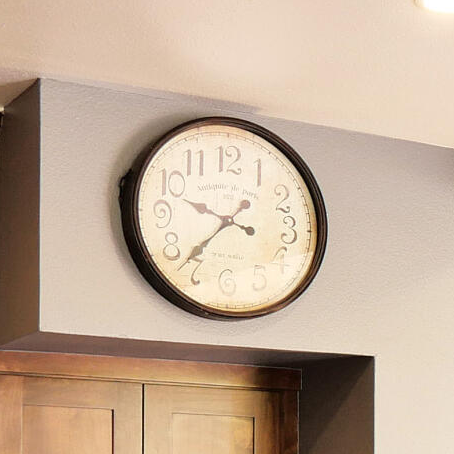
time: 9:37
